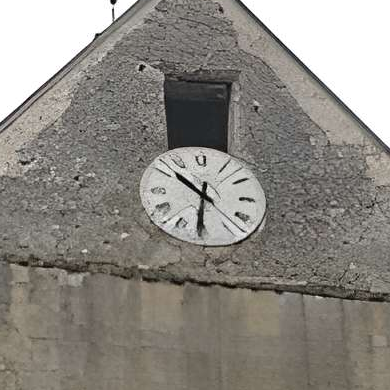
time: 10:31
